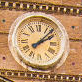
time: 2:07
